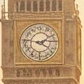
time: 4:10
